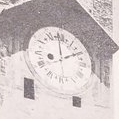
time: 1:59
